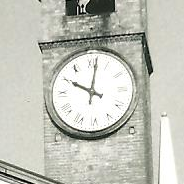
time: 10:01
